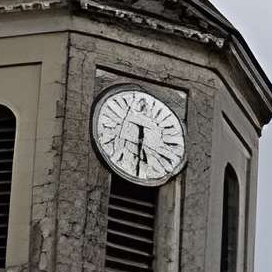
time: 5:30
